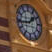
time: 1:43
